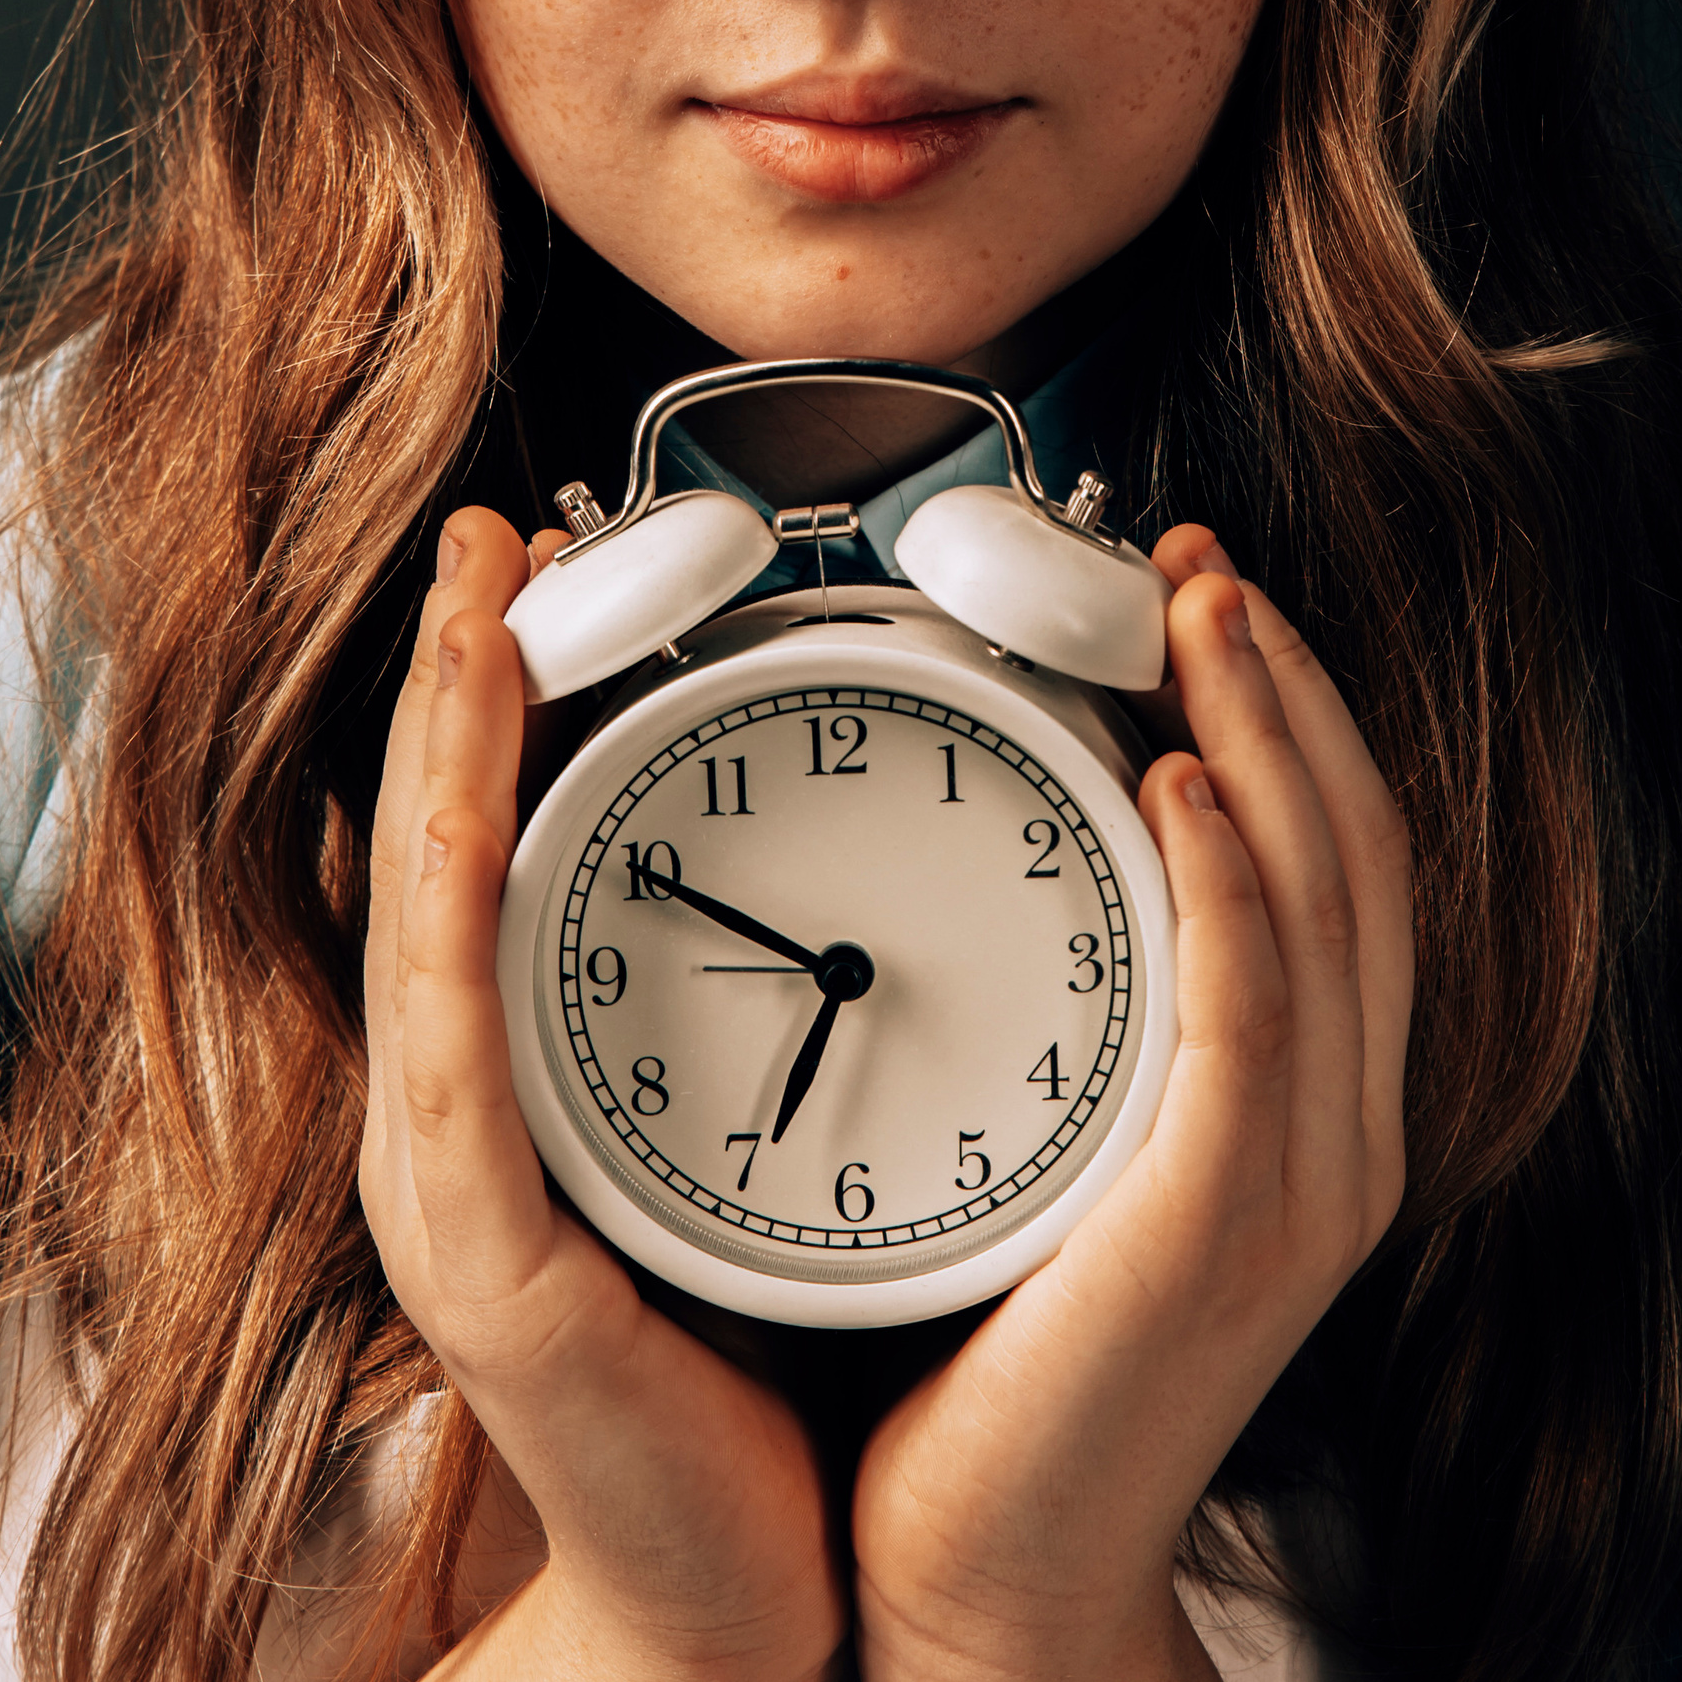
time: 6:49
